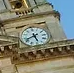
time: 5:40
